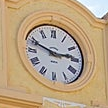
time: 2:48
